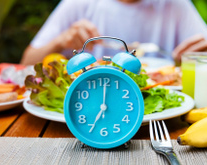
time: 7:00
